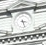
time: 3:27
